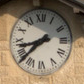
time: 8:38
